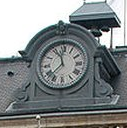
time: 11:37
